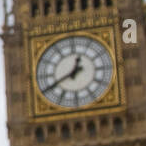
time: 12:40
